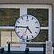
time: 4:45
